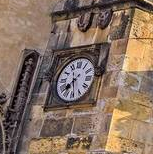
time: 7:28
